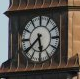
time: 5:38
